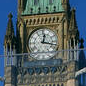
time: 12:17
